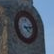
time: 4:13
